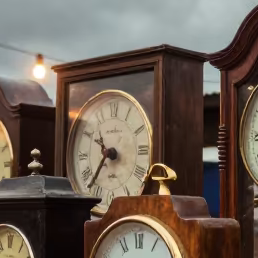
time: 10:36
